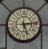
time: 5:14
